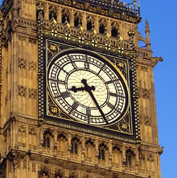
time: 8:25
